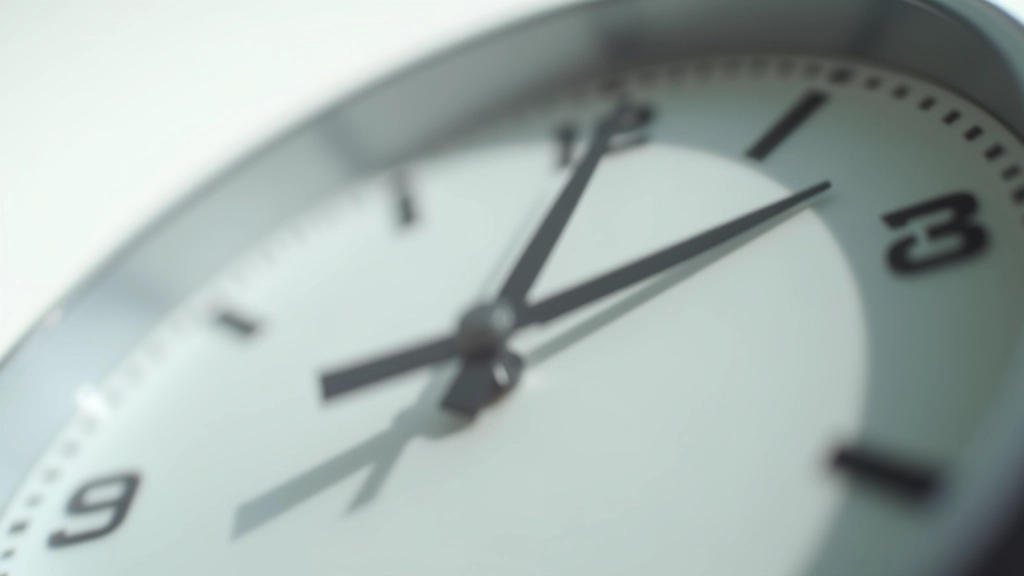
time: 12:07
